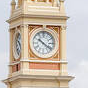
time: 10:20
